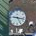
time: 9:17
